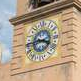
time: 3:43
